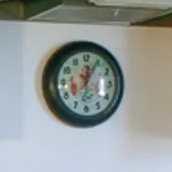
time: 12:04
